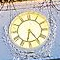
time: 6:23
